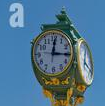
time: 12:15
